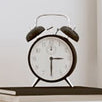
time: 3:30
